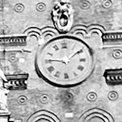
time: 1:46
